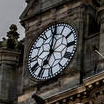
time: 7:01
